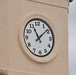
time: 11:08
